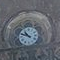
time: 10:48
